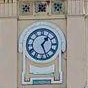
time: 1:26
